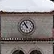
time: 10:55
